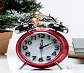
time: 12:10
